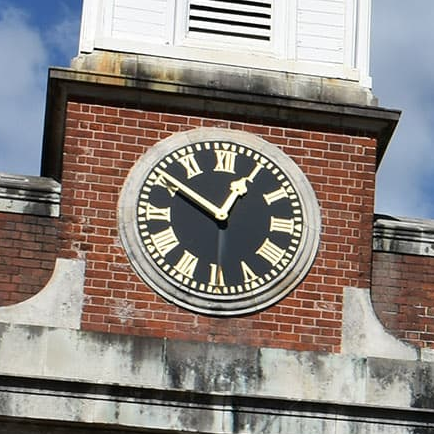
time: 12:50
